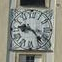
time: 9:22
